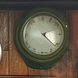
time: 4:21
